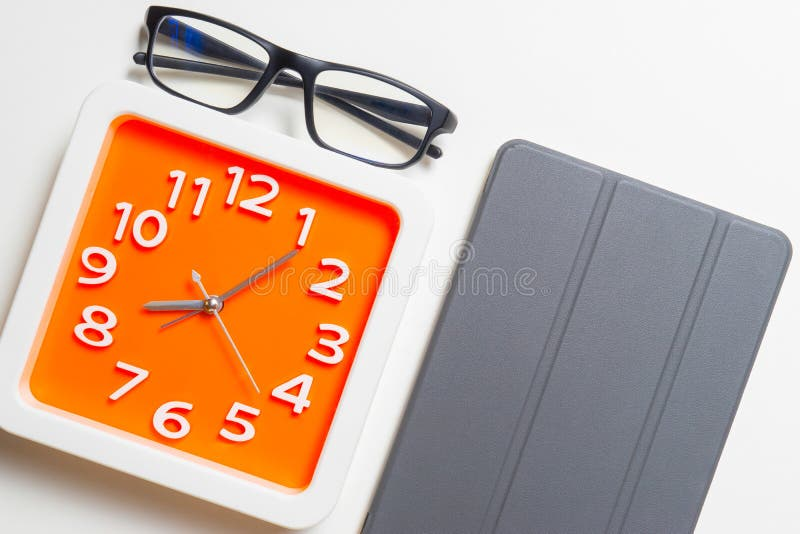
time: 8:06
